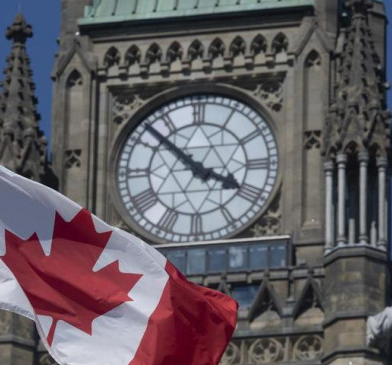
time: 3:52
